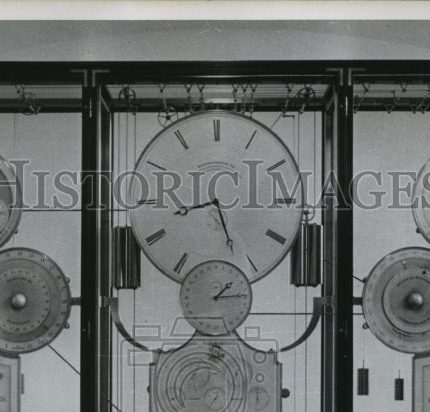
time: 8:26
